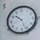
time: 10:26
